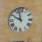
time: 9:57
